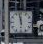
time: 11:58
